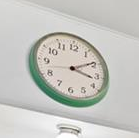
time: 3:09
